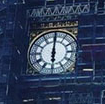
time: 6:00
